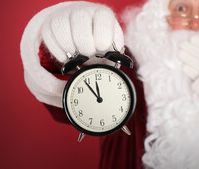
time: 11:54
